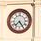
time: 7:24
